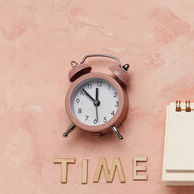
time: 11:51
